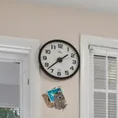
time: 1:37
